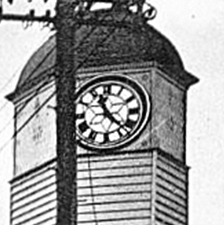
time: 11:22
